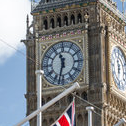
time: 11:32
